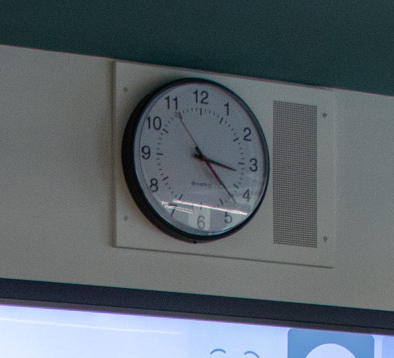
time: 3:22
